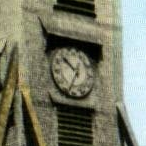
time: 10:34
